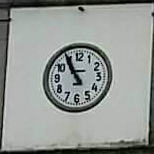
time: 10:55
